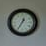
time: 12:34
